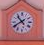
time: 10:40
